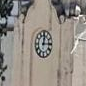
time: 12:14
